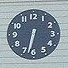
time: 6:32
